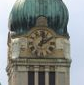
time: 2:02
